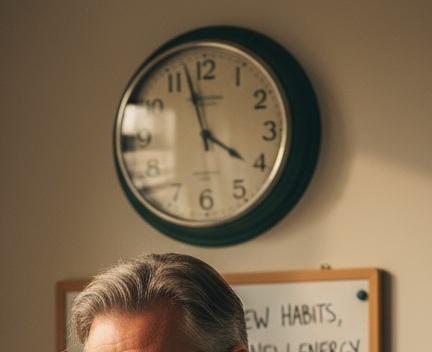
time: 3:57
